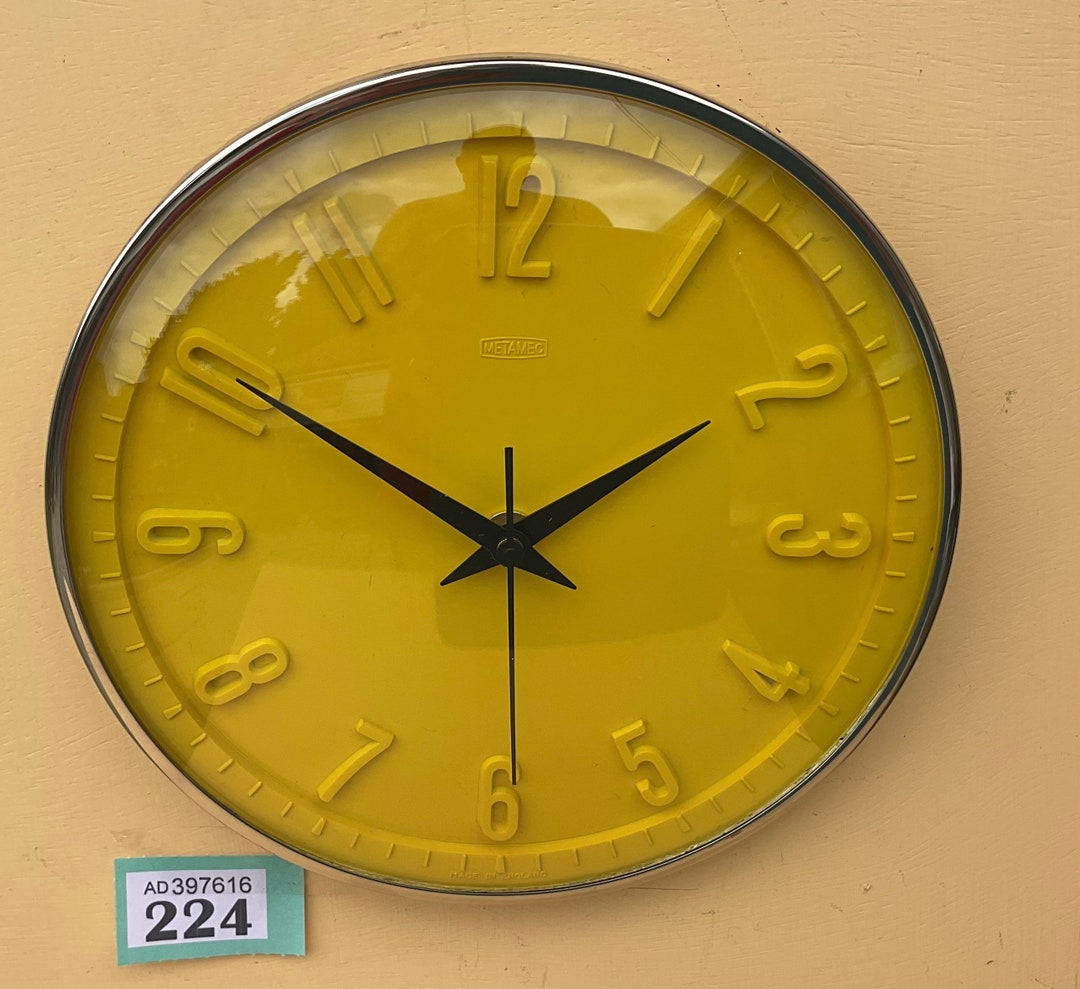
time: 1:50
